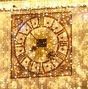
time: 7:52
